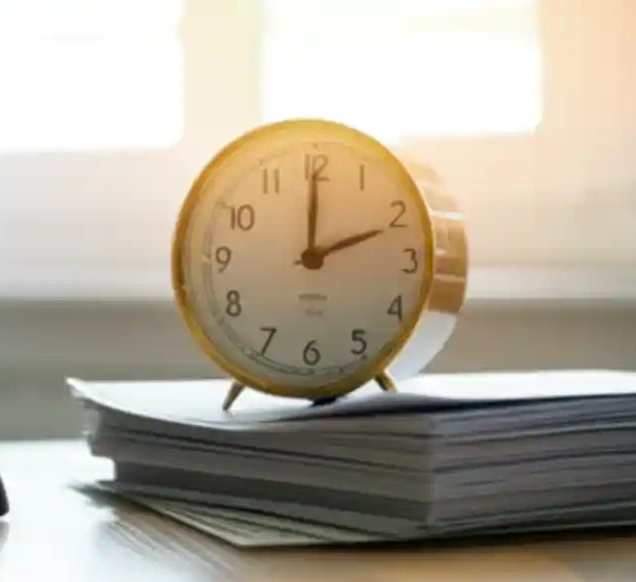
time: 2:00
